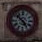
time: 4:52
